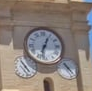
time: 12:32
